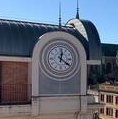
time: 12:20
